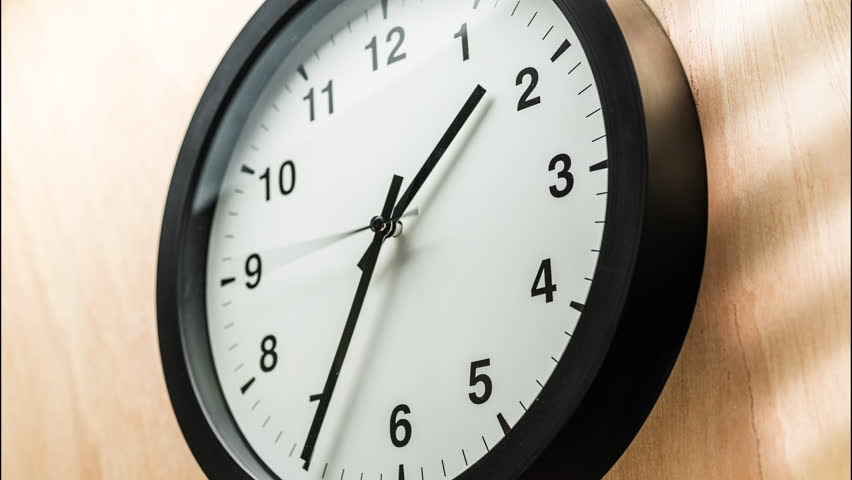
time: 1:34
